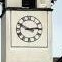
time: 2:49
